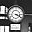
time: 3:20
